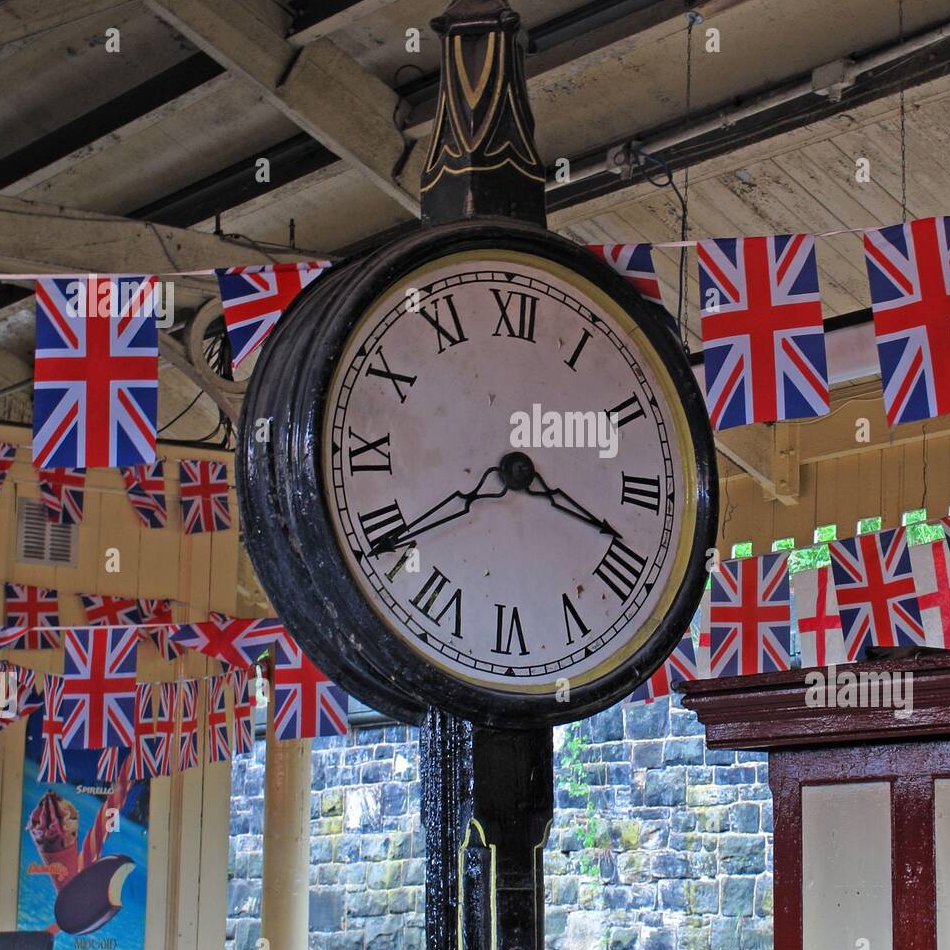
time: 3:39
